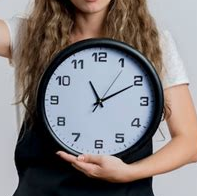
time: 11:10
